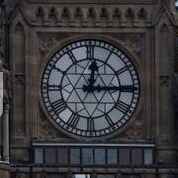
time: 12:14
